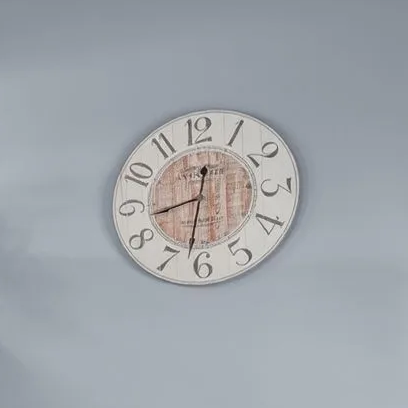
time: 8:32
